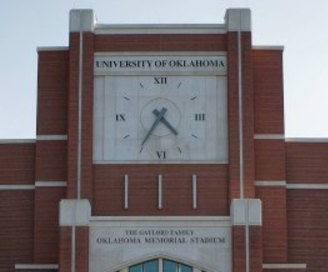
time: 4:35
